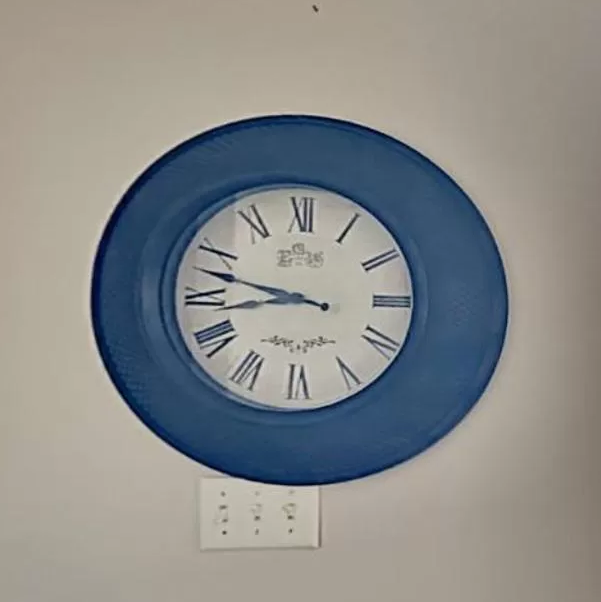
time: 8:47
